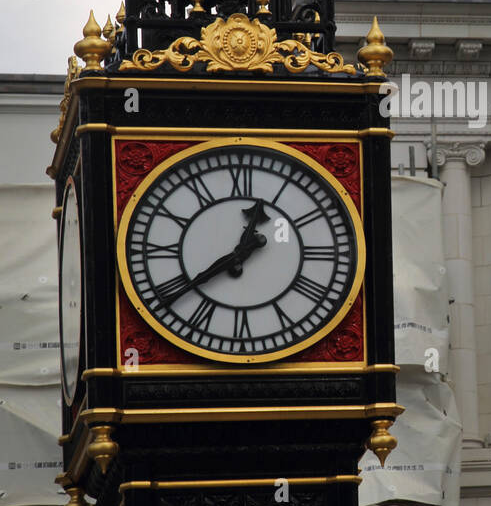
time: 12:38
